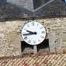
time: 9:43
